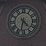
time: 4:32
